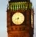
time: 8:32
